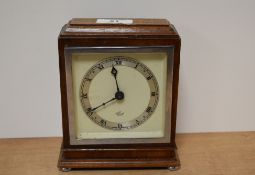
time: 11:40
